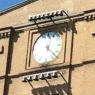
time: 12:22
